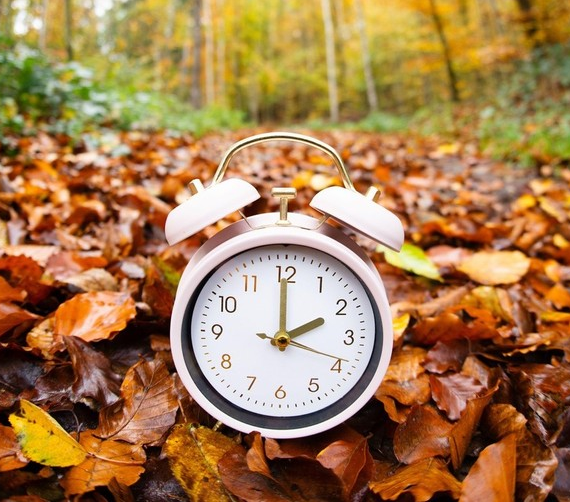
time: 2:00
